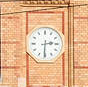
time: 2:30
